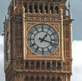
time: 1:18
